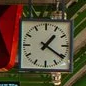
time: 1:20
